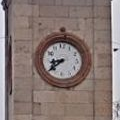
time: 8:38
